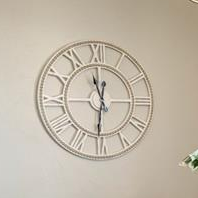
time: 11:31
